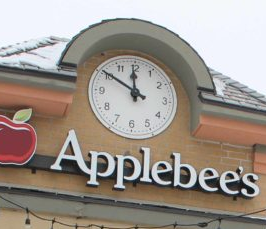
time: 11:50
